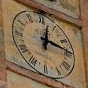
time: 12:14
